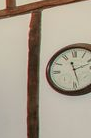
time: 2:27
